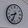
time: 8:33
